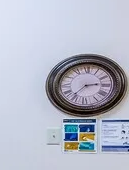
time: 2:37
